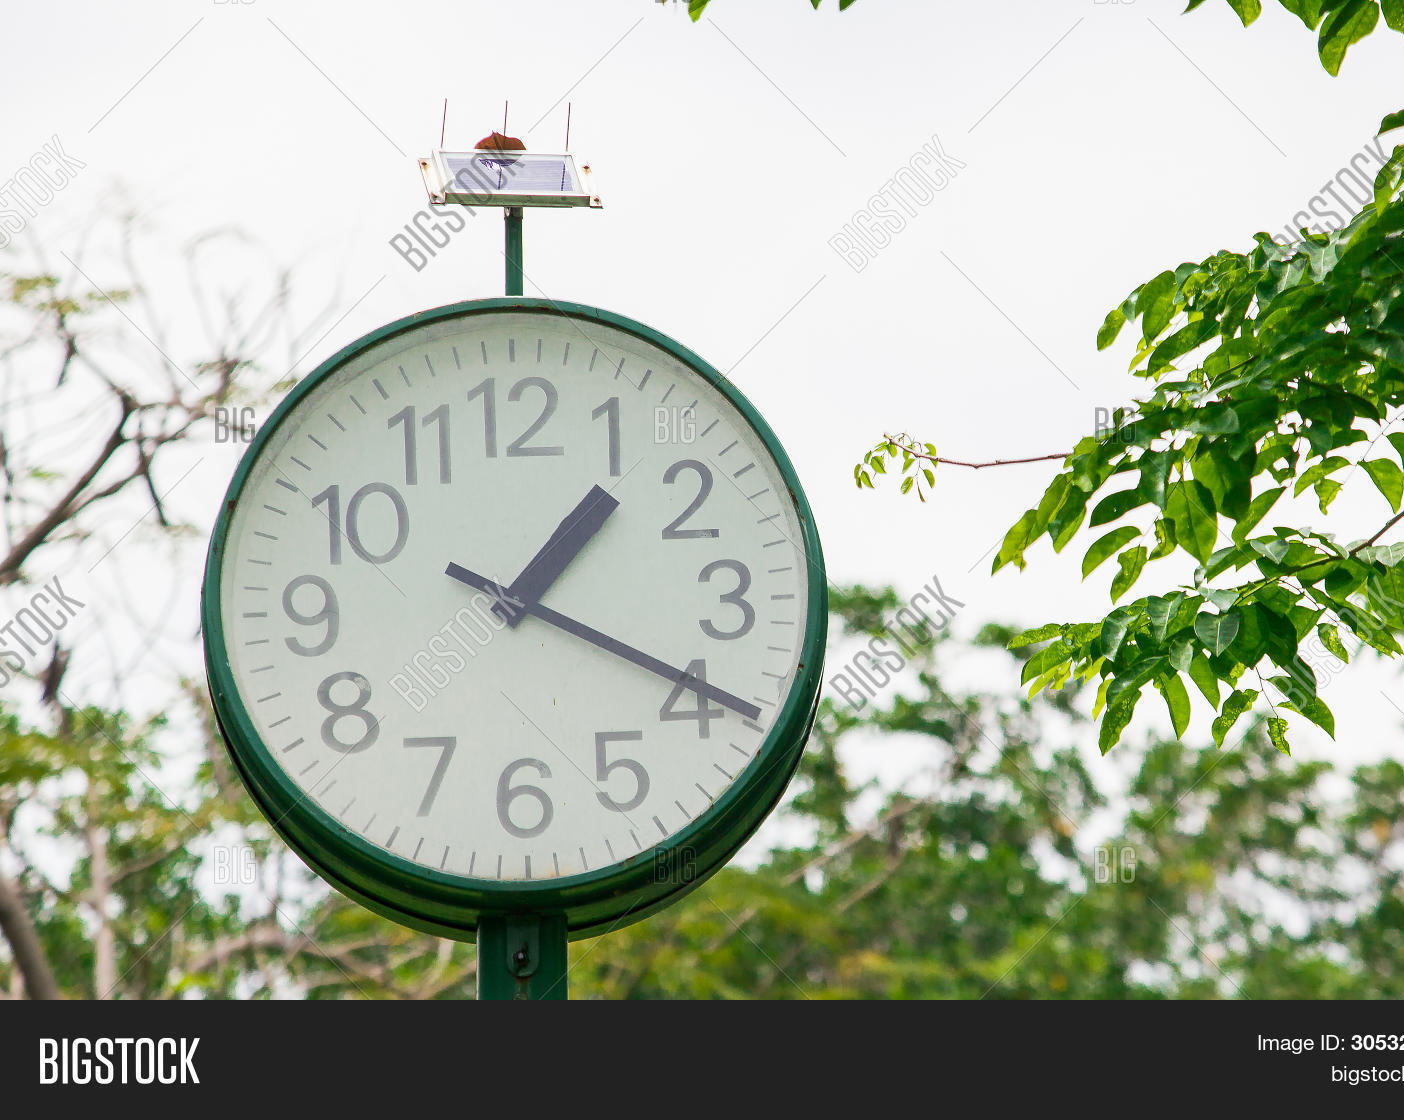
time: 1:19
